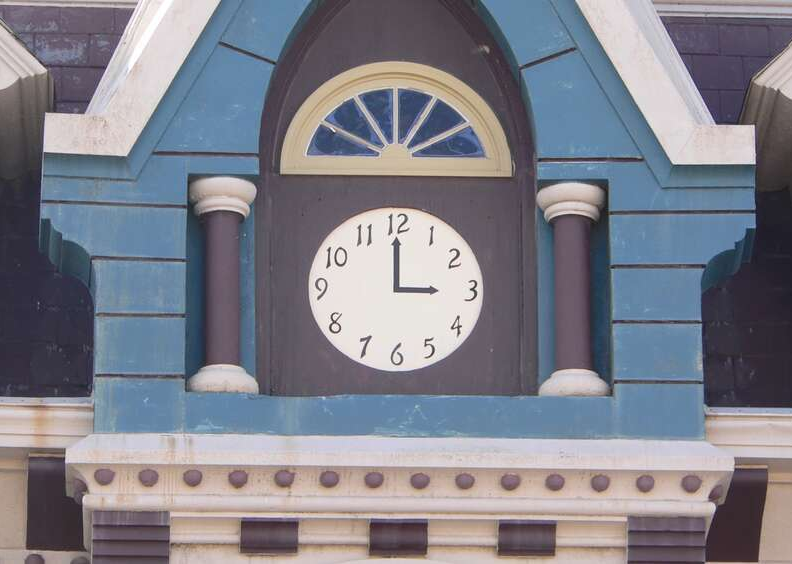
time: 3:00
